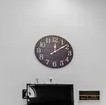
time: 12:08
